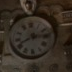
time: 2:40
